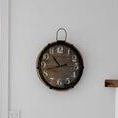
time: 10:42
